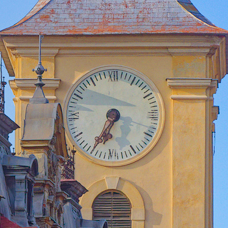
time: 6:34
